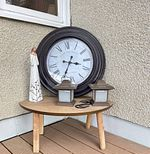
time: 3:34
